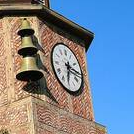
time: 6:15
